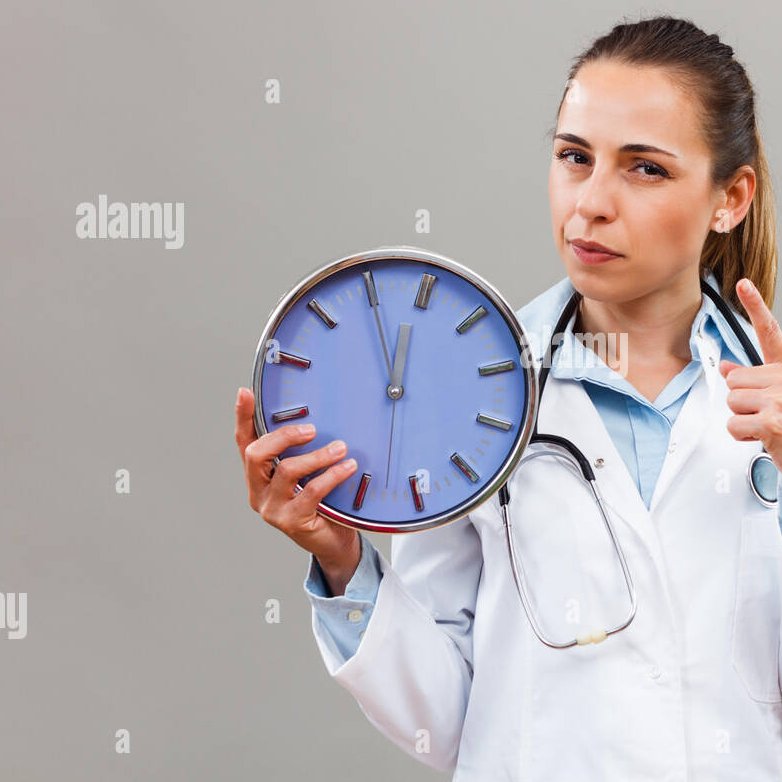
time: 11:55
